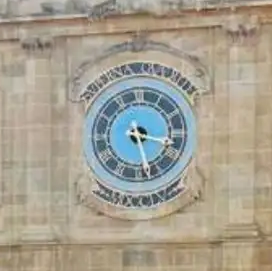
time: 3:27
